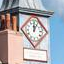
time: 12:05
